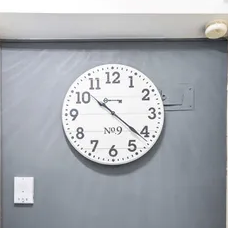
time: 10:21
